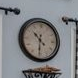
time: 10:29
